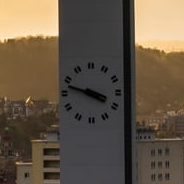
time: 3:47
